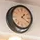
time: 1:20
